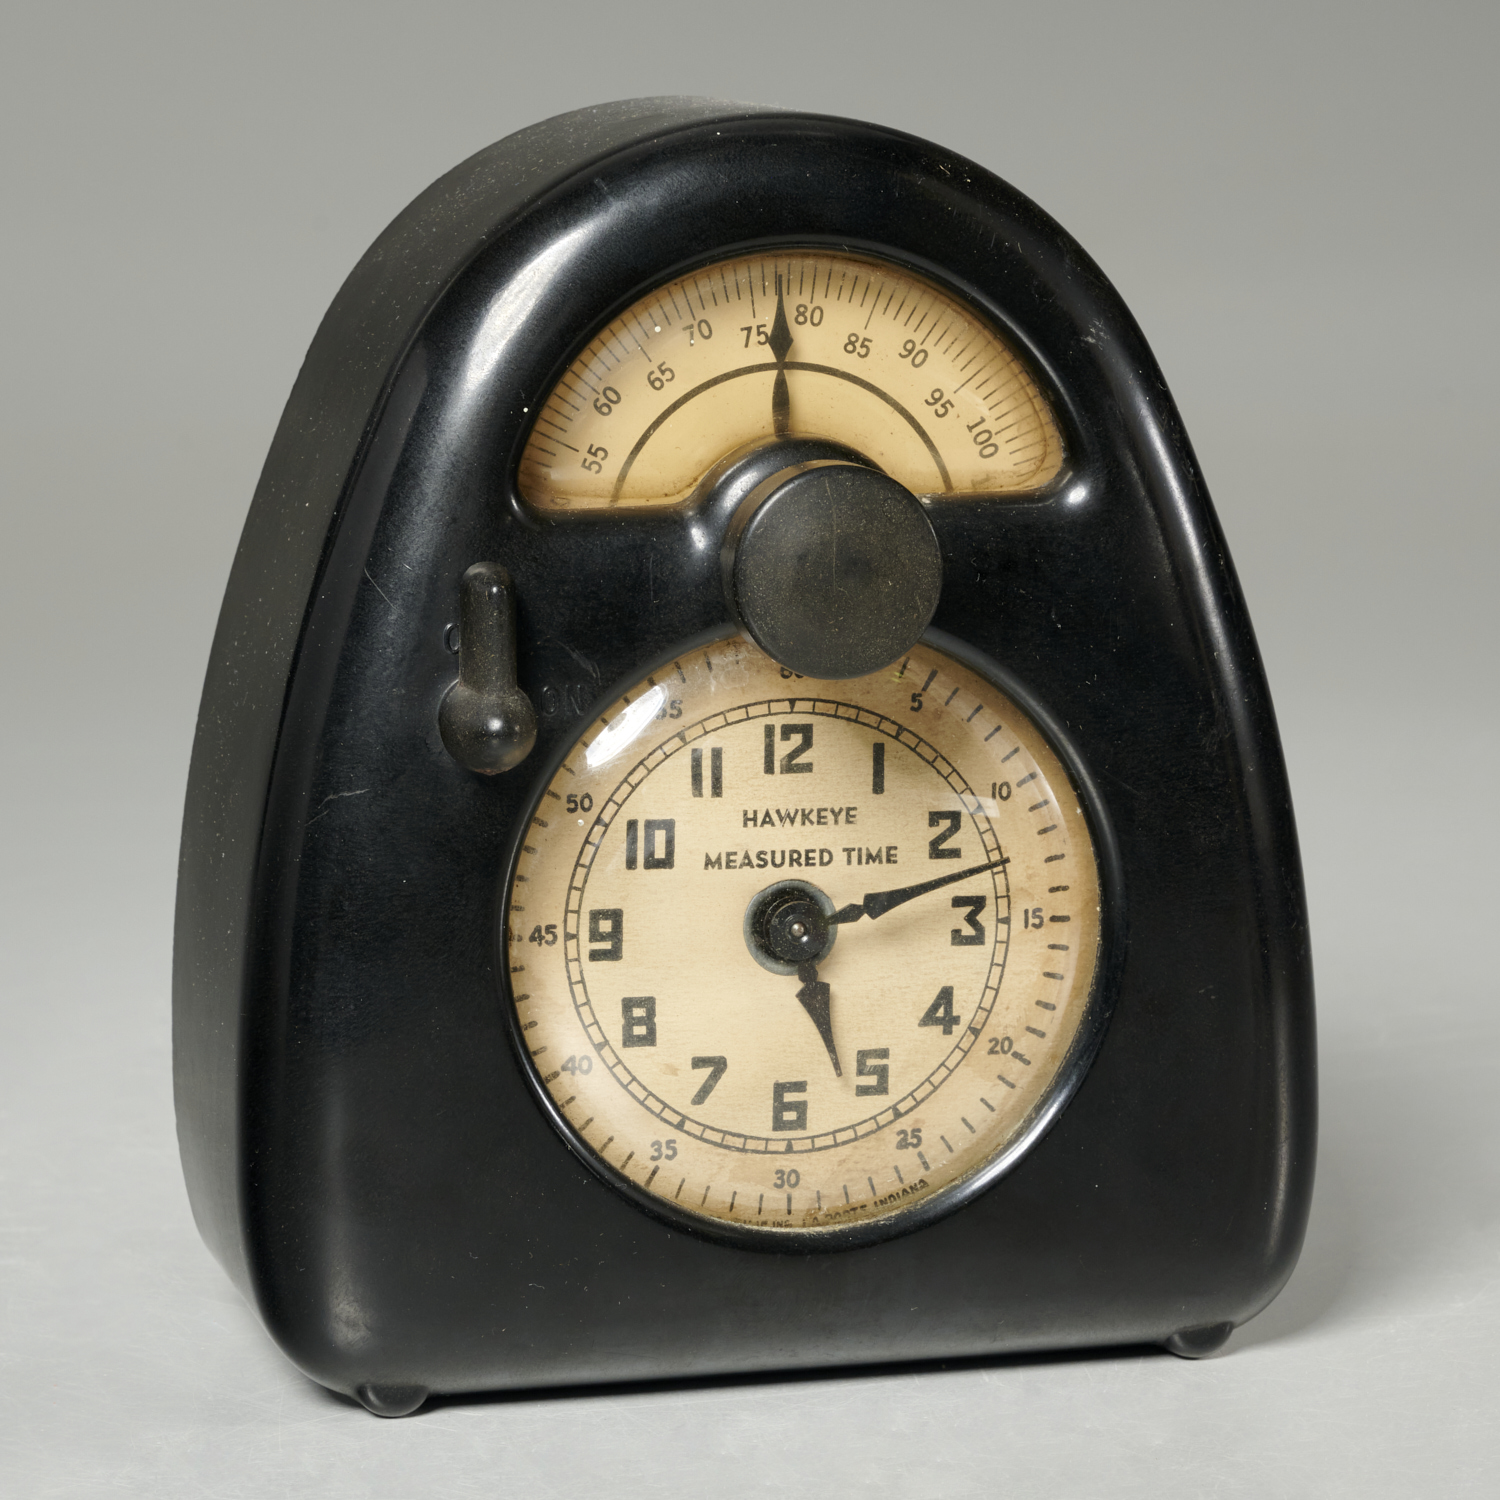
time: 5:12
